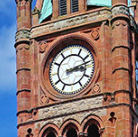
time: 3:12
